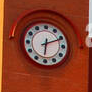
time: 6:11
